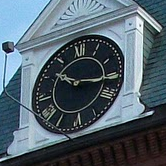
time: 10:15
